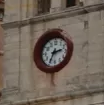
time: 2:34
